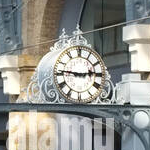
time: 2:46
